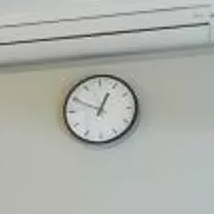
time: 12:49
